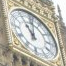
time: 11:01
